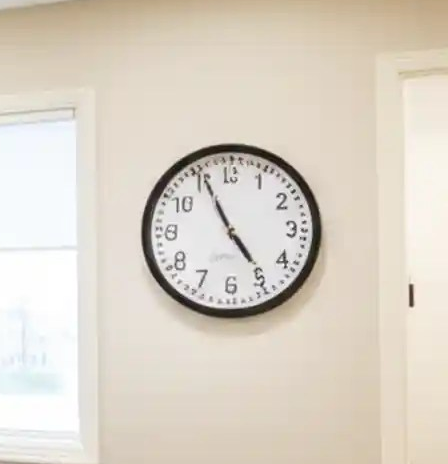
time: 4:55
